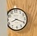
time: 8:18
